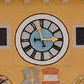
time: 2:57
